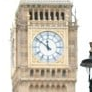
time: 11:51
